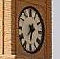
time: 7:30
